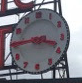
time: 3:44
